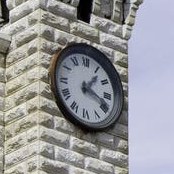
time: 1:18
